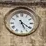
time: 5:21
